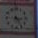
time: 3:24
